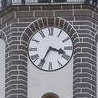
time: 3:34
